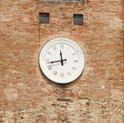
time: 11:43
